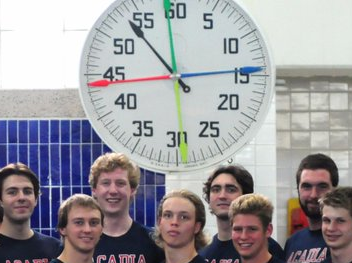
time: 2:53
